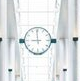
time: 8:59
